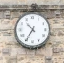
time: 10:34
